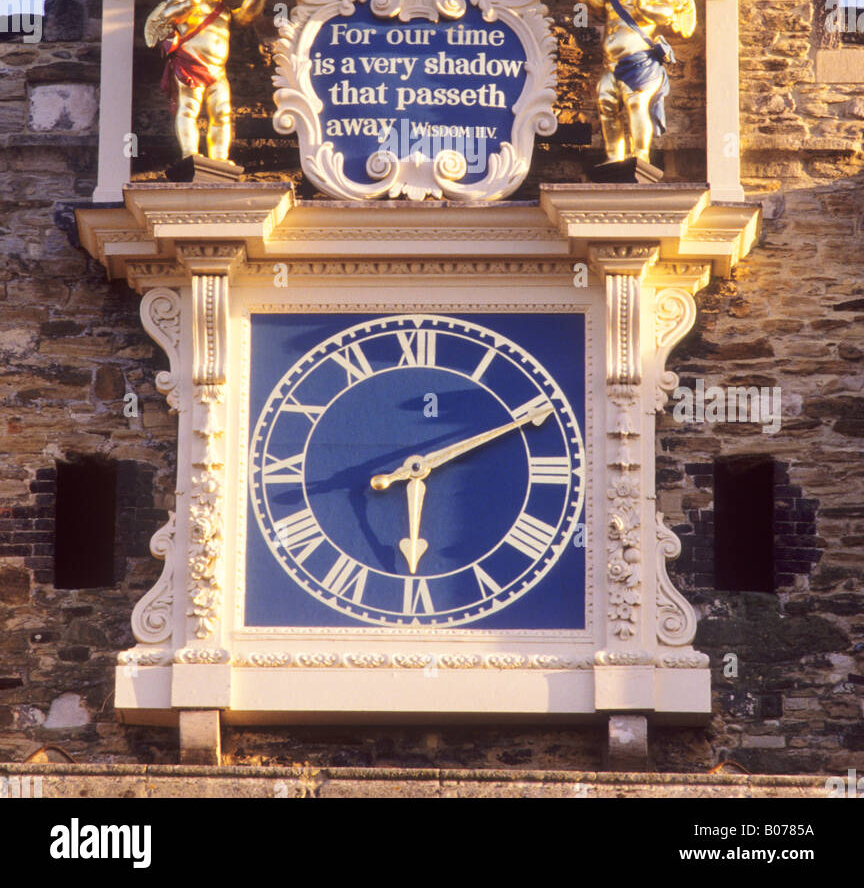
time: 6:10
